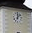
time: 12:07
